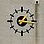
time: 1:16
